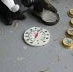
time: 12:03
